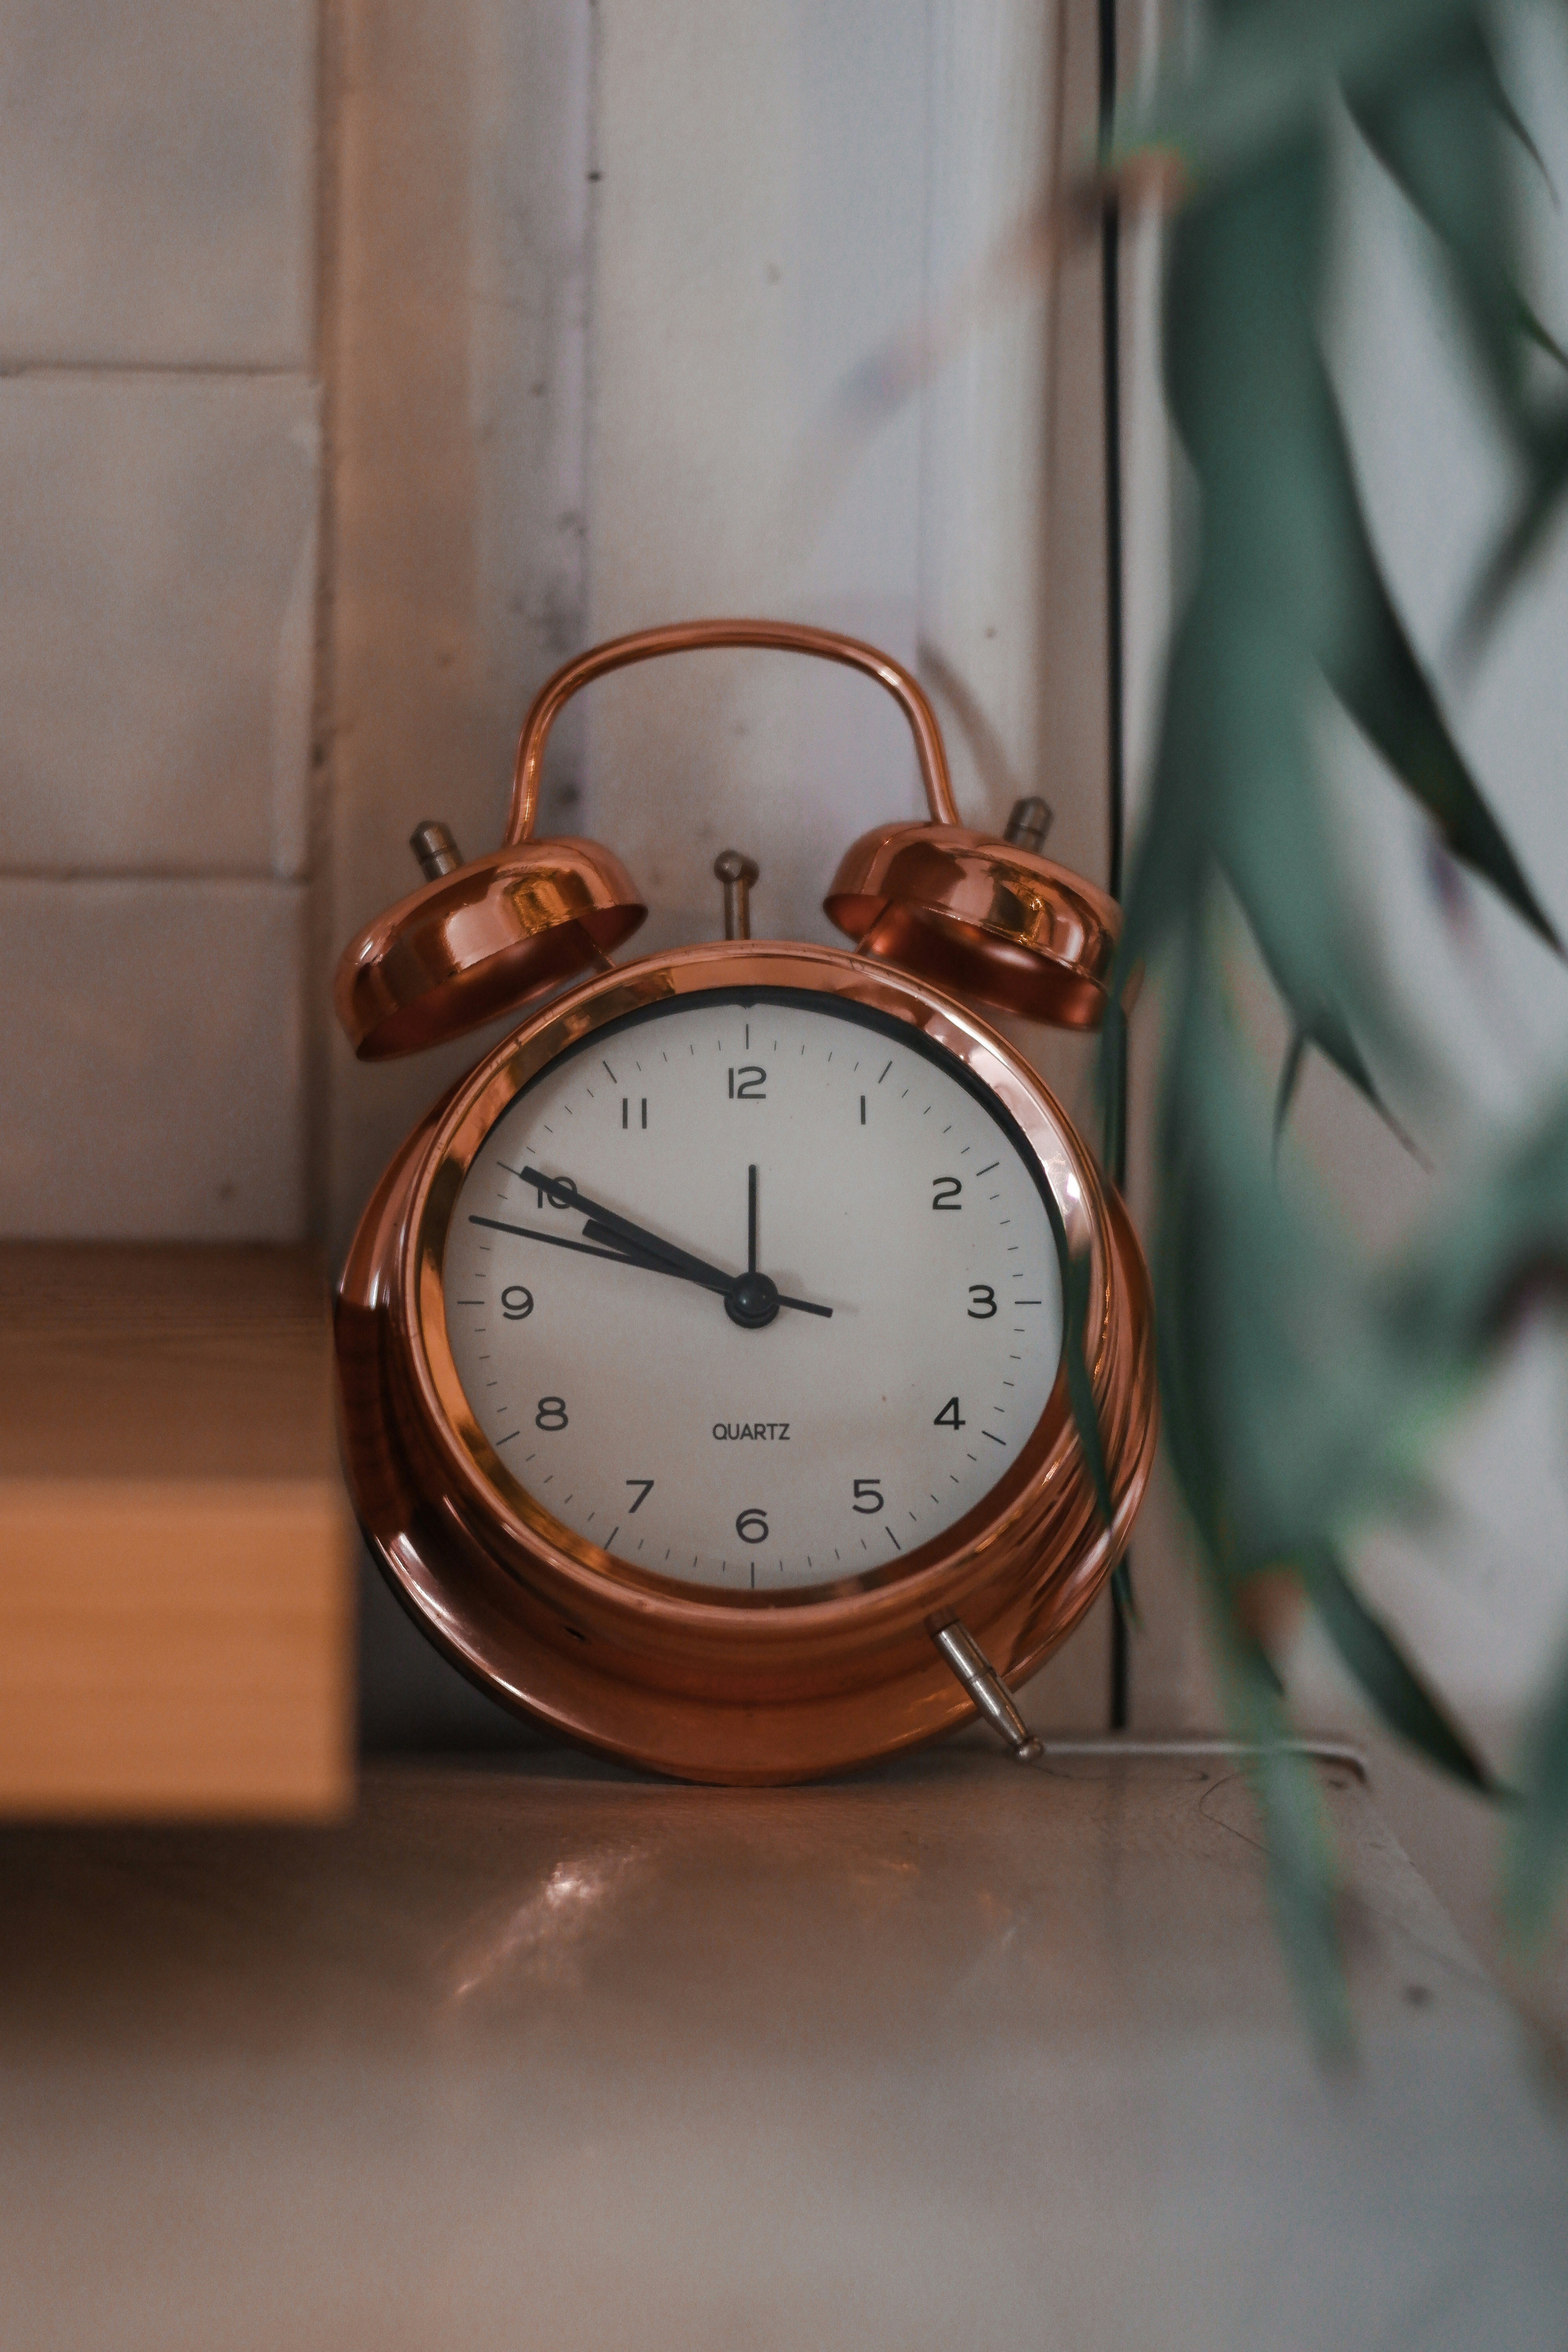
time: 9:50
